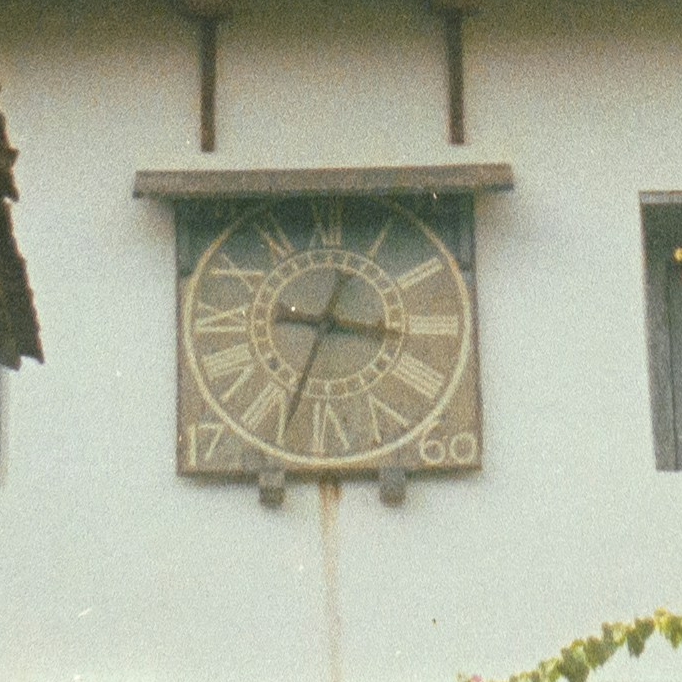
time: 12:33
